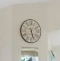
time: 5:26
